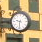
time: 9:31
